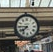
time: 7:45
